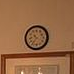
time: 10:36
